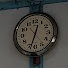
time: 12:33
